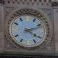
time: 4:11
